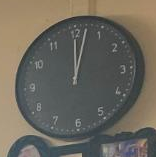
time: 12:02
